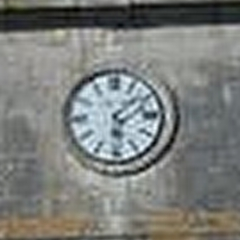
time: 6:08
